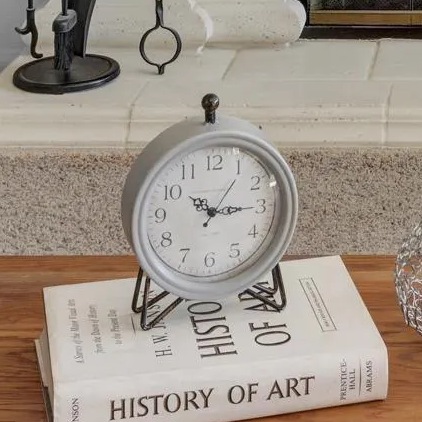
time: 10:14
